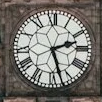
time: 2:27
